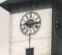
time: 9:14
